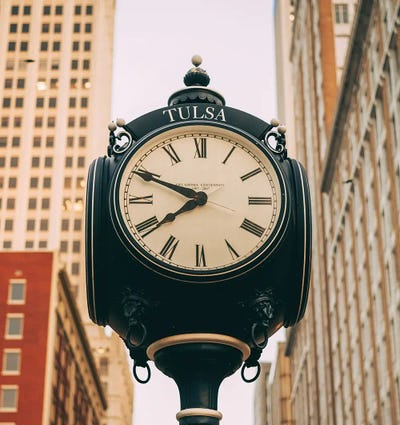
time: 7:48
